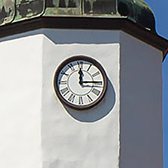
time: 12:14
